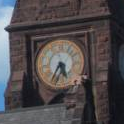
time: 5:35
